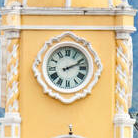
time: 2:11
